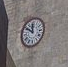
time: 11:50
